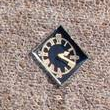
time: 2:18
